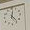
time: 12:23
